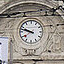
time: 9:47
